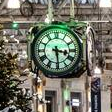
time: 3:29
